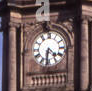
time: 4:31
